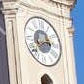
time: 2:40
